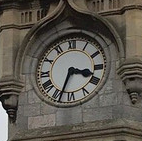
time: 3:33
